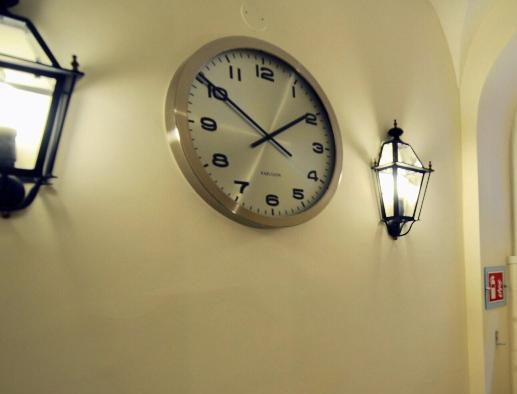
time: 1:50
